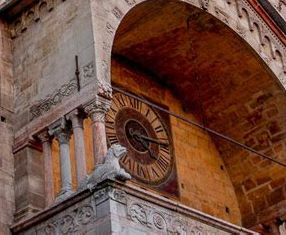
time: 4:14
